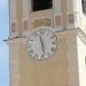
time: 11:28
